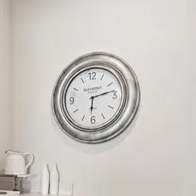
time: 6:13
